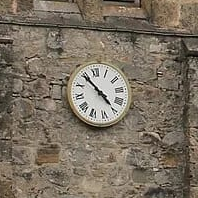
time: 4:54
